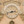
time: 2:42
